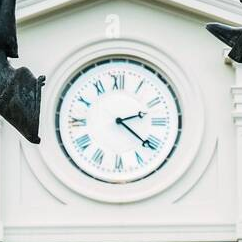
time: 2:21
